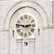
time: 2:46
